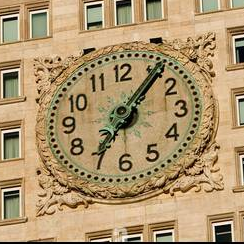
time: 7:06
